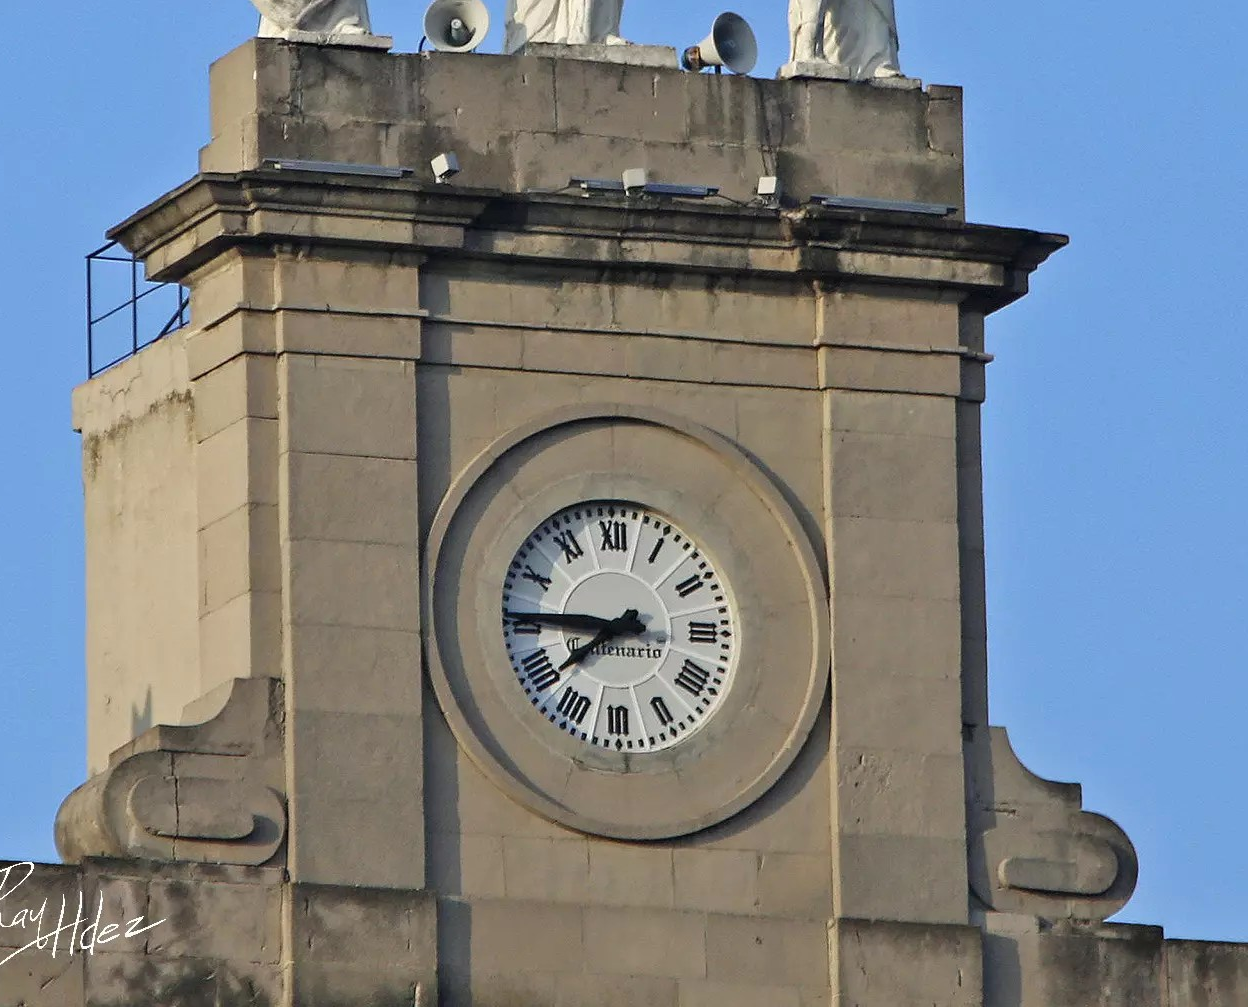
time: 7:45
